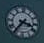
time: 3:36
